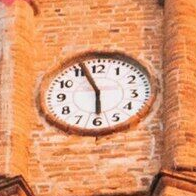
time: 5:56
